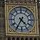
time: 4:35
